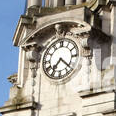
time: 7:22
